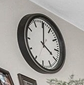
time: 4:00
